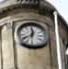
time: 12:40
